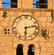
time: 6:13
